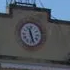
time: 11:26
